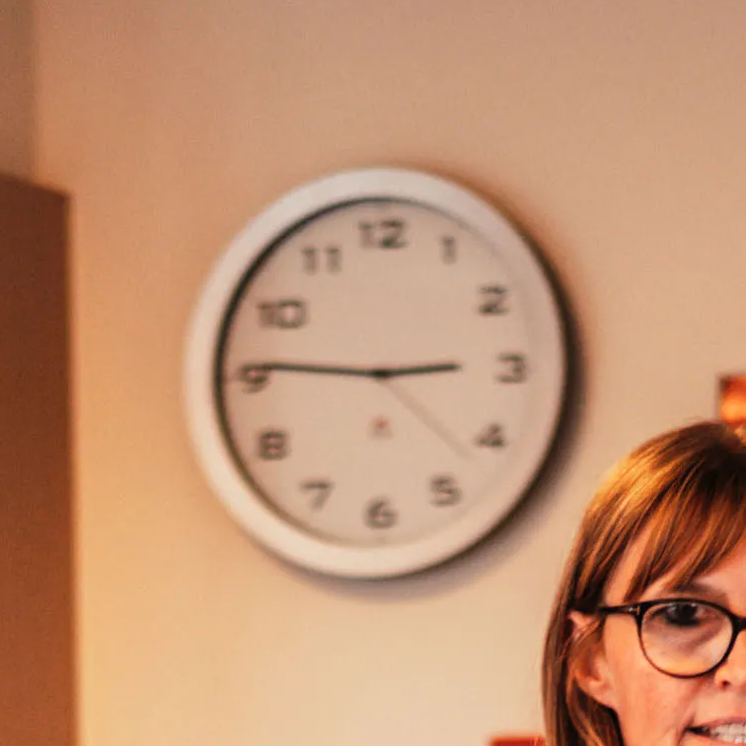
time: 2:45
